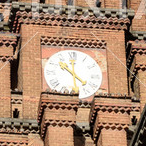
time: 10:22
